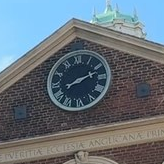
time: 8:12
